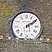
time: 2:09
